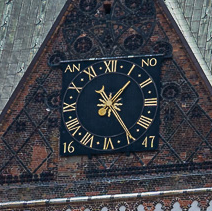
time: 1:24
